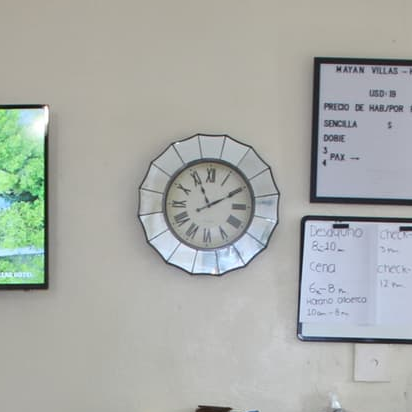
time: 11:10
